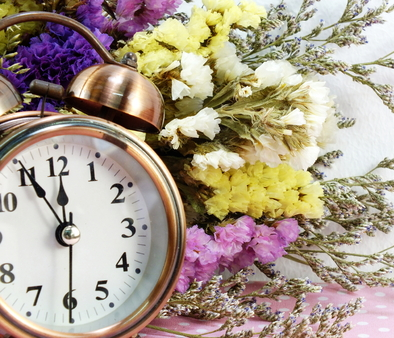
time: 11:55
